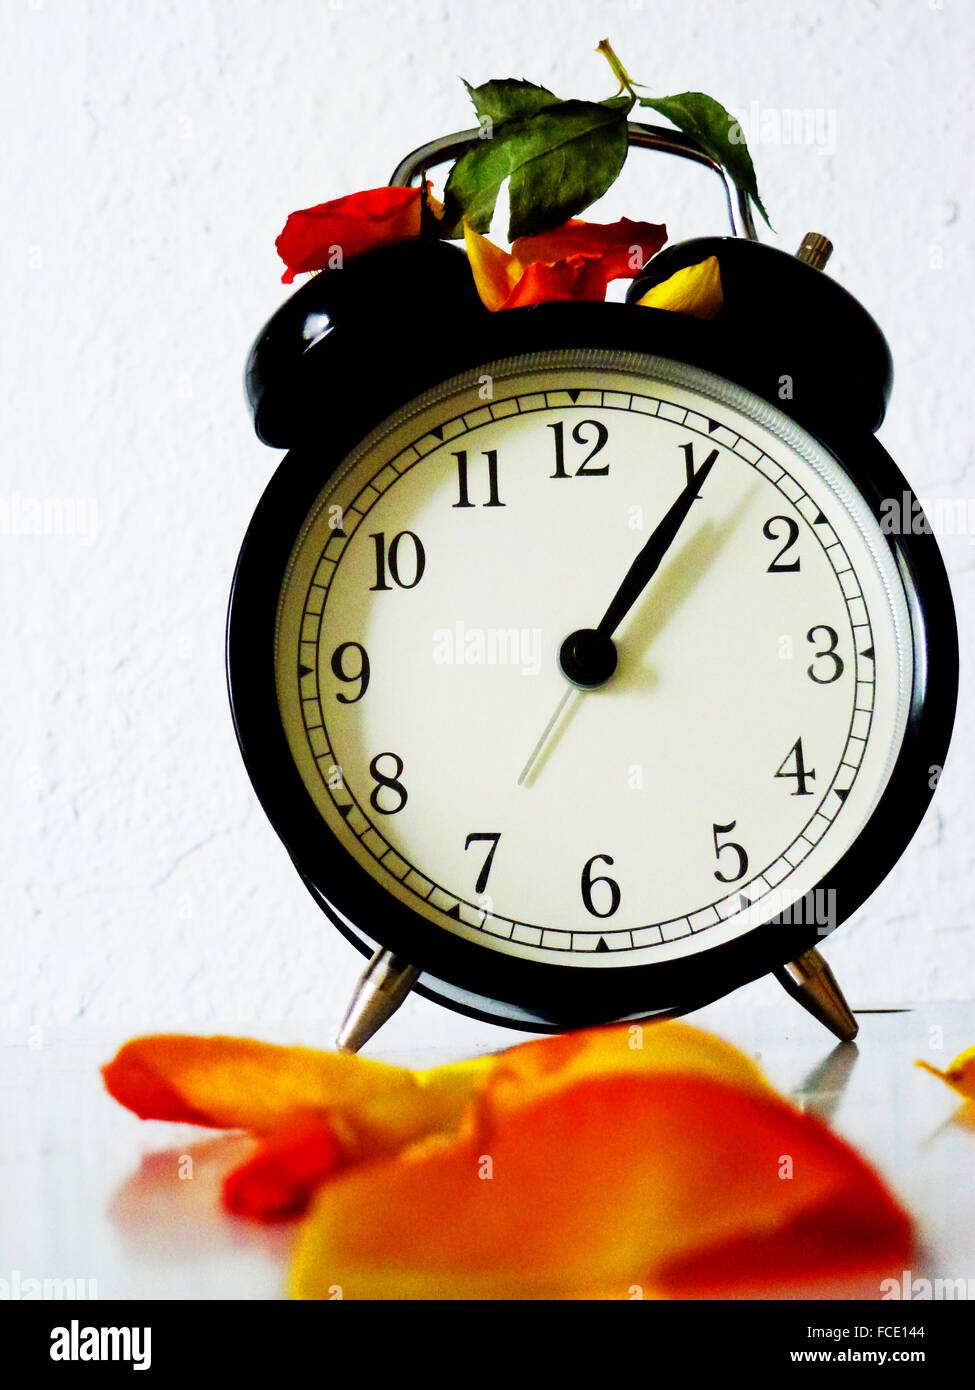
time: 1:05
